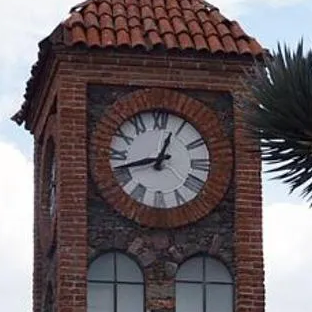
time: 12:42
